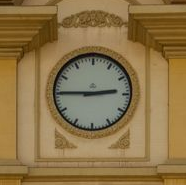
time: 2:45
